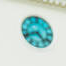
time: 4:41
